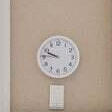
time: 9:45
